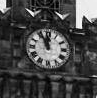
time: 11:55
